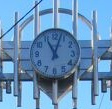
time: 11:03
